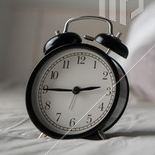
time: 2:45
